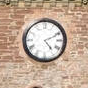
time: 4:10
